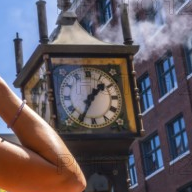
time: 1:34
